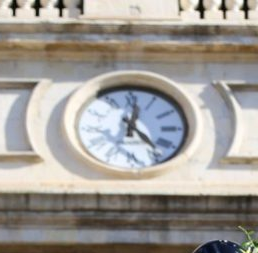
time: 12:23
